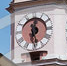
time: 12:28
